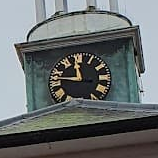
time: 11:46
